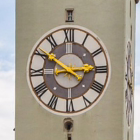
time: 2:50
